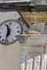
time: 11:32
